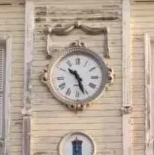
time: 10:26
